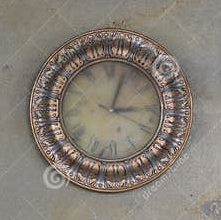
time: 3:02
